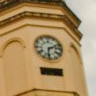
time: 6:12
